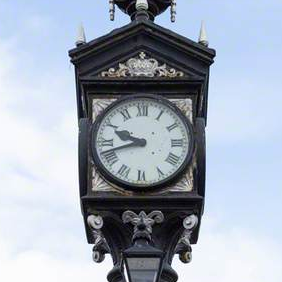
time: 9:42
